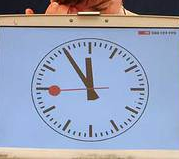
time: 11:54
